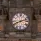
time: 8:12
